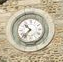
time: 10:37
